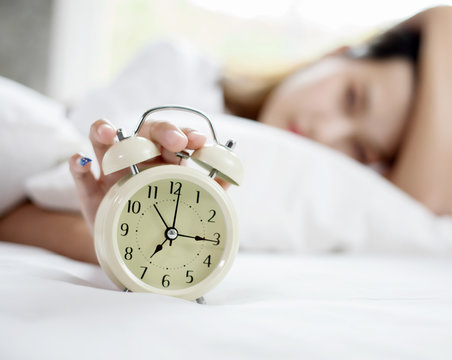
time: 7:15
